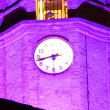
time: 2:42
